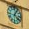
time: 4:04
